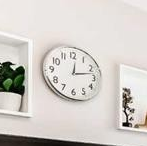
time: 12:12
